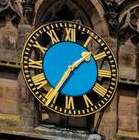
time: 1:35
